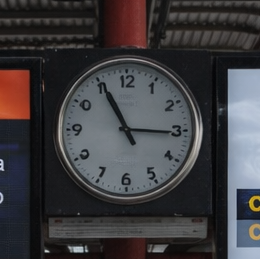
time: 10:55
